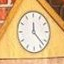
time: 12:22
